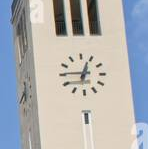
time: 12:45
